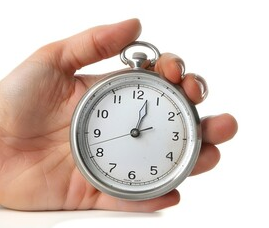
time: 1:02
